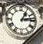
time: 1:13
